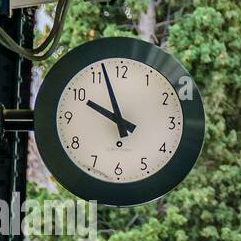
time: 9:57
